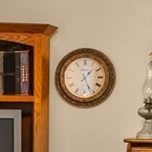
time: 1:26
